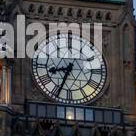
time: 8:34
